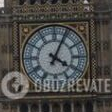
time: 4:04
